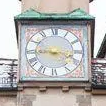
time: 3:44
